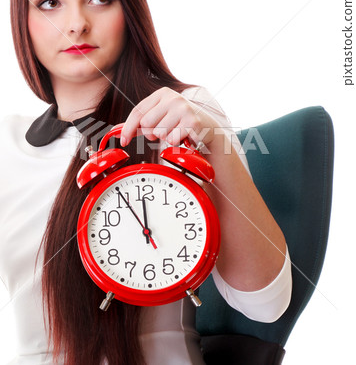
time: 11:55
